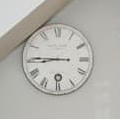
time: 8:45
